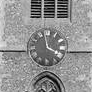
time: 3:58
